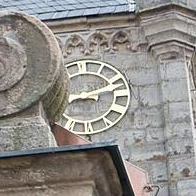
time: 8:11
